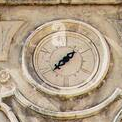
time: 7:37
